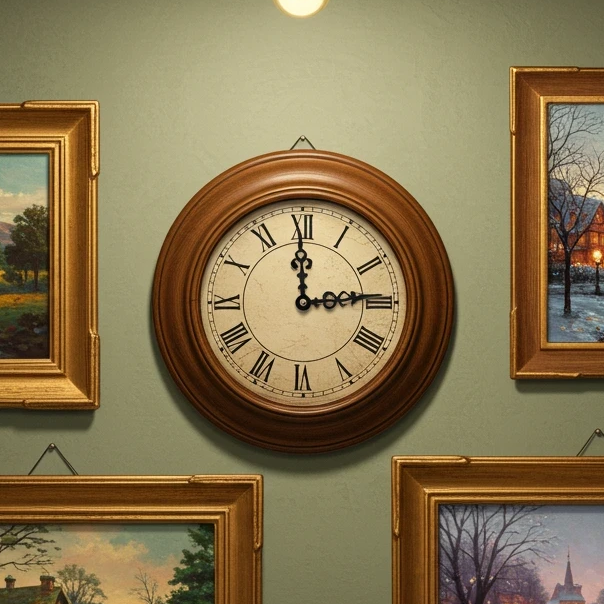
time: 2:59
